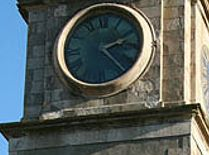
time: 2:23
